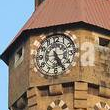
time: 5:24
